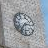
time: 7:15
